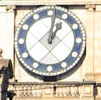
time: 1:01
